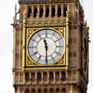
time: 11:29
